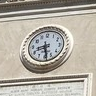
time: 8:28
